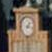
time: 7:17
